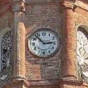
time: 2:53
